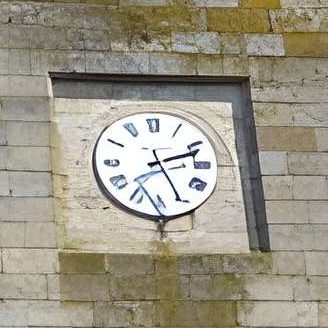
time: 2:25
